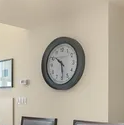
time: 10:28
